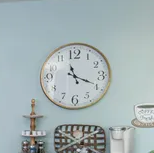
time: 11:19
